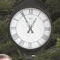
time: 12:55
